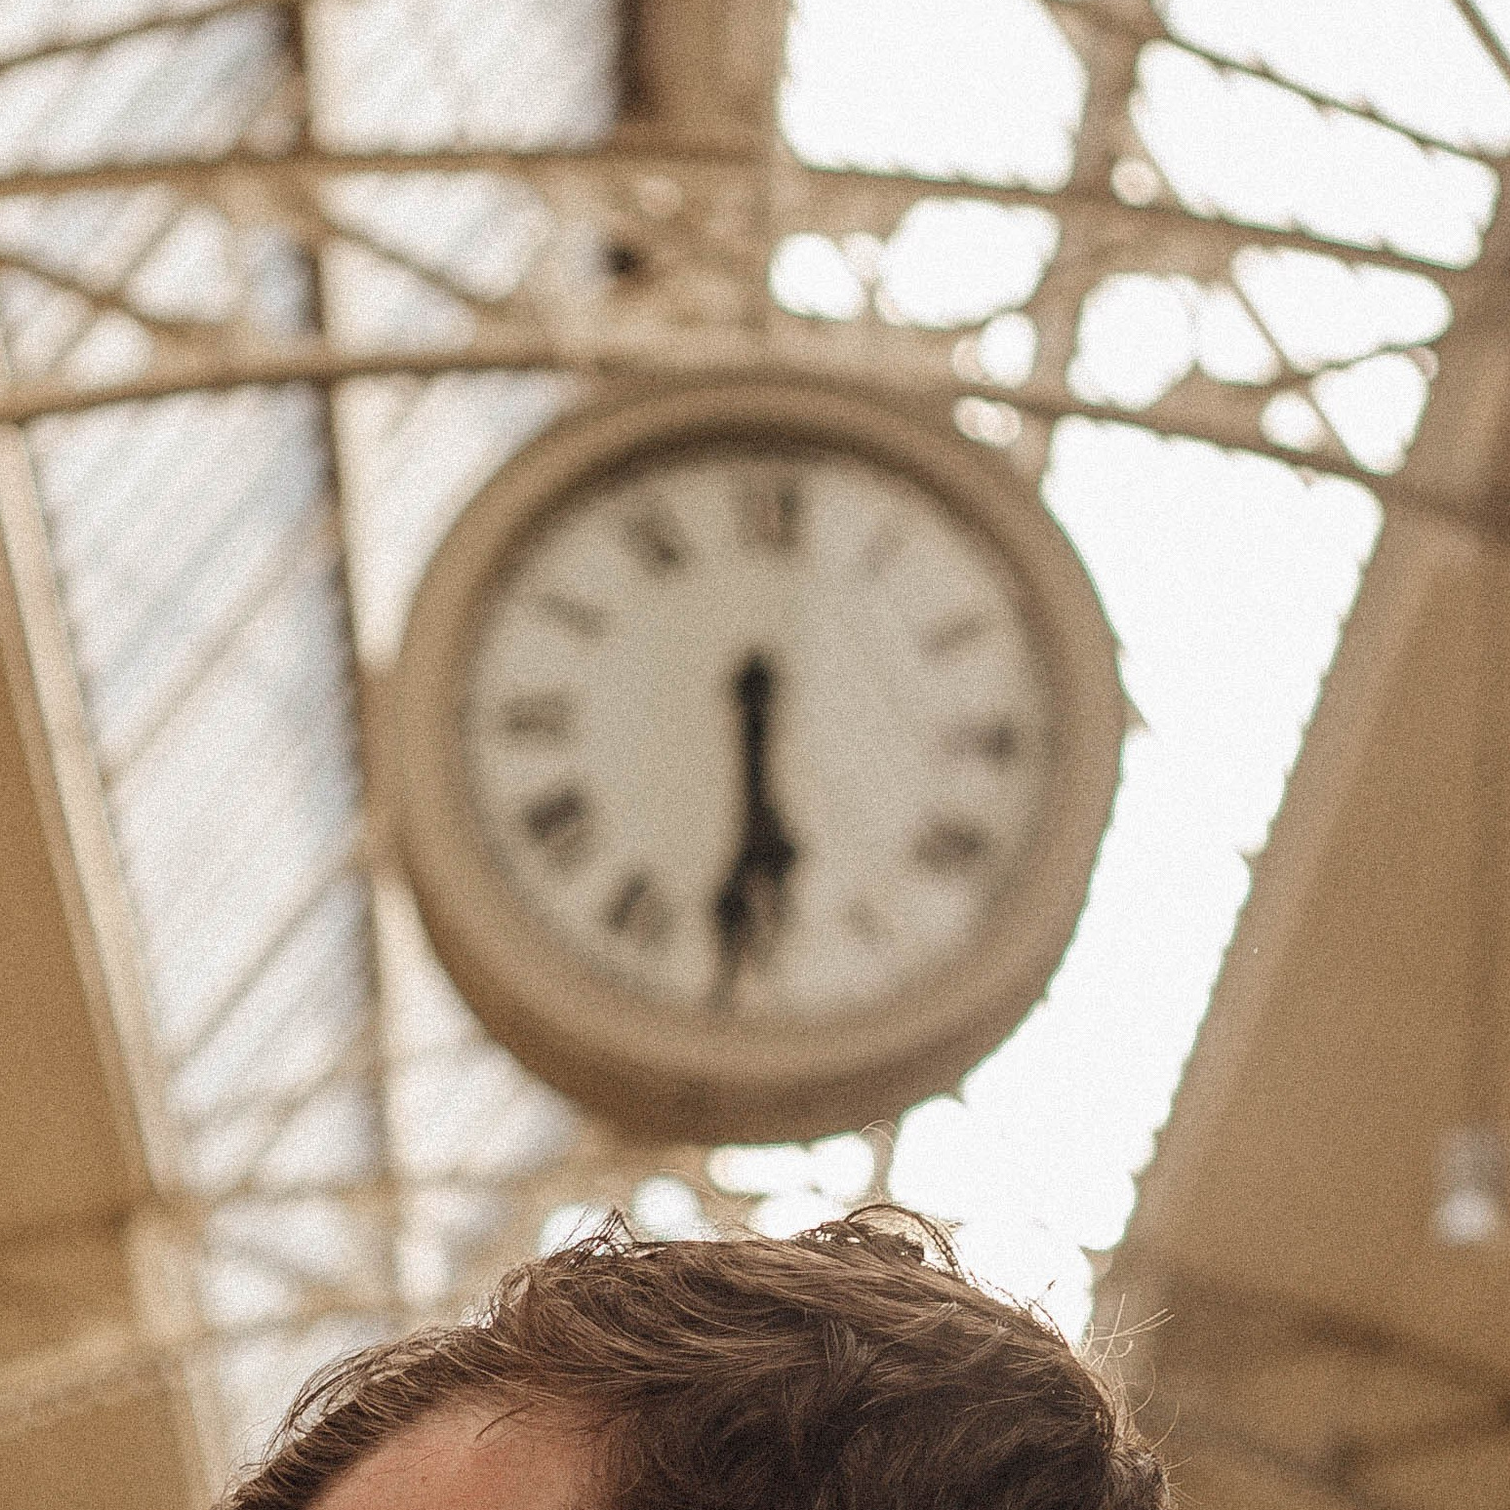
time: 5:30
